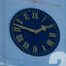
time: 1:47
